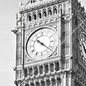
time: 10:21
